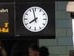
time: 7:57
